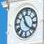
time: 11:21
